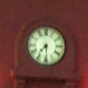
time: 7:29
